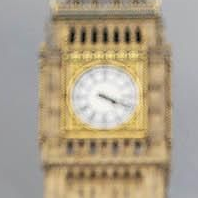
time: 4:18
